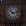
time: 10:12
